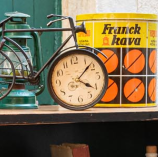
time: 4:07
